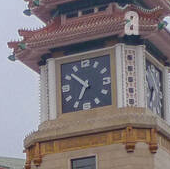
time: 6:51
